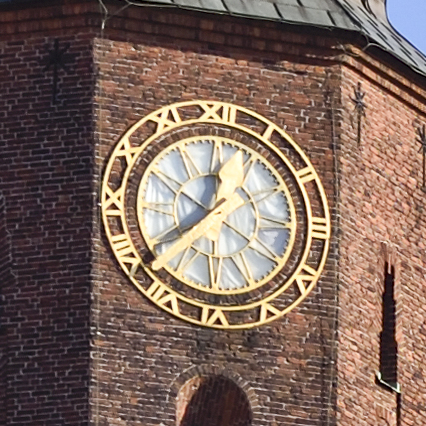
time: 12:38
